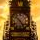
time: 10:24
